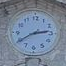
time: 2:39
